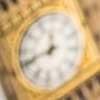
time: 11:41
